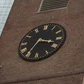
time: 3:35
